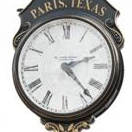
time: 2:23
